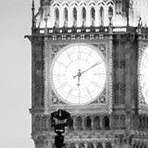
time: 6:10
